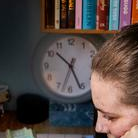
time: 10:26
